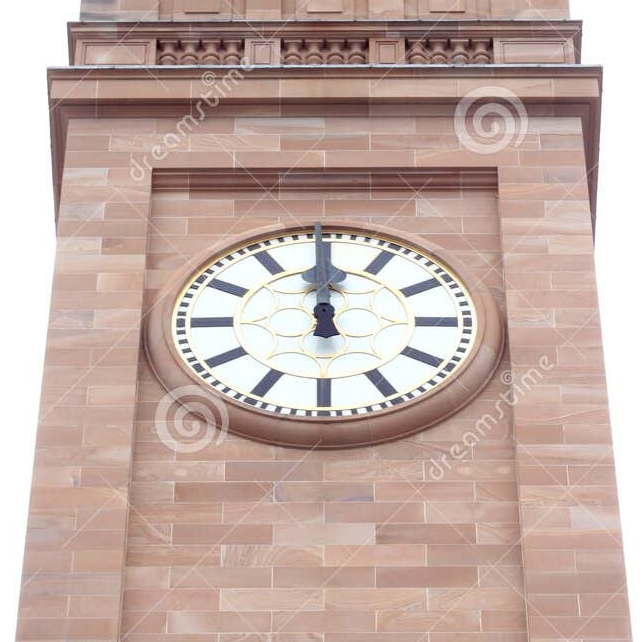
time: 11:59
